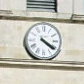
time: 4:20
